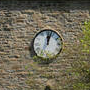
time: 12:02
